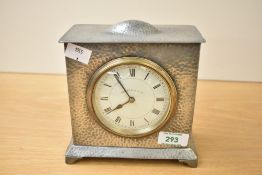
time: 7:54
